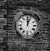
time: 12:03
